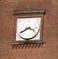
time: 3:39
